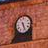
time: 5:26
